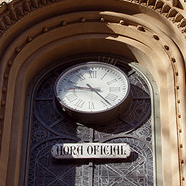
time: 9:23
